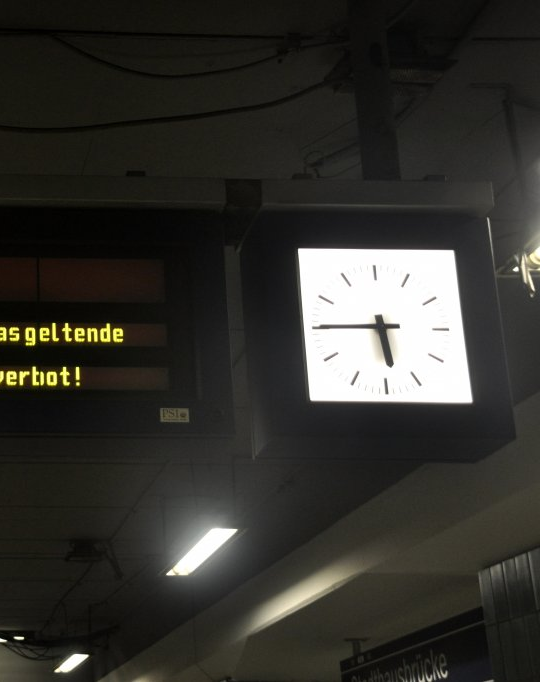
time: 5:45
